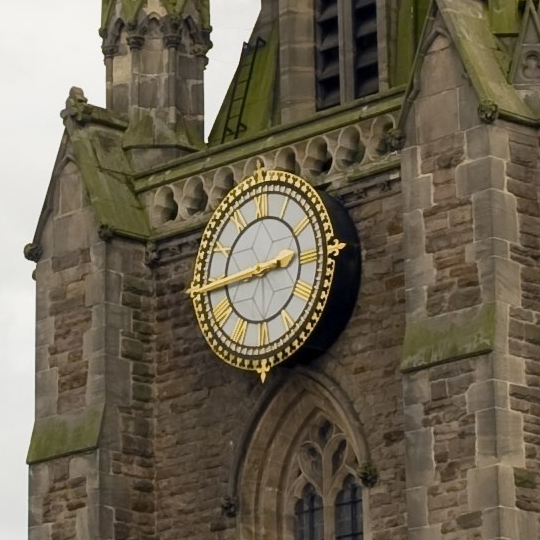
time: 2:44
